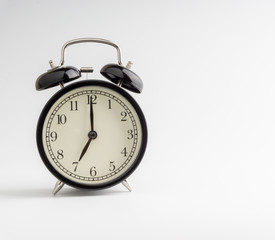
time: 7:00
